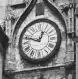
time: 12:48
